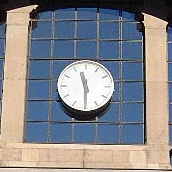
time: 11:29
